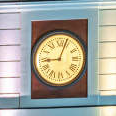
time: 9:03
